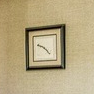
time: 9:22
